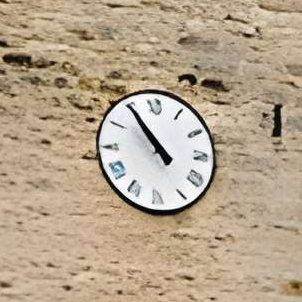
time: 10:54
